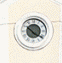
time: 10:20
